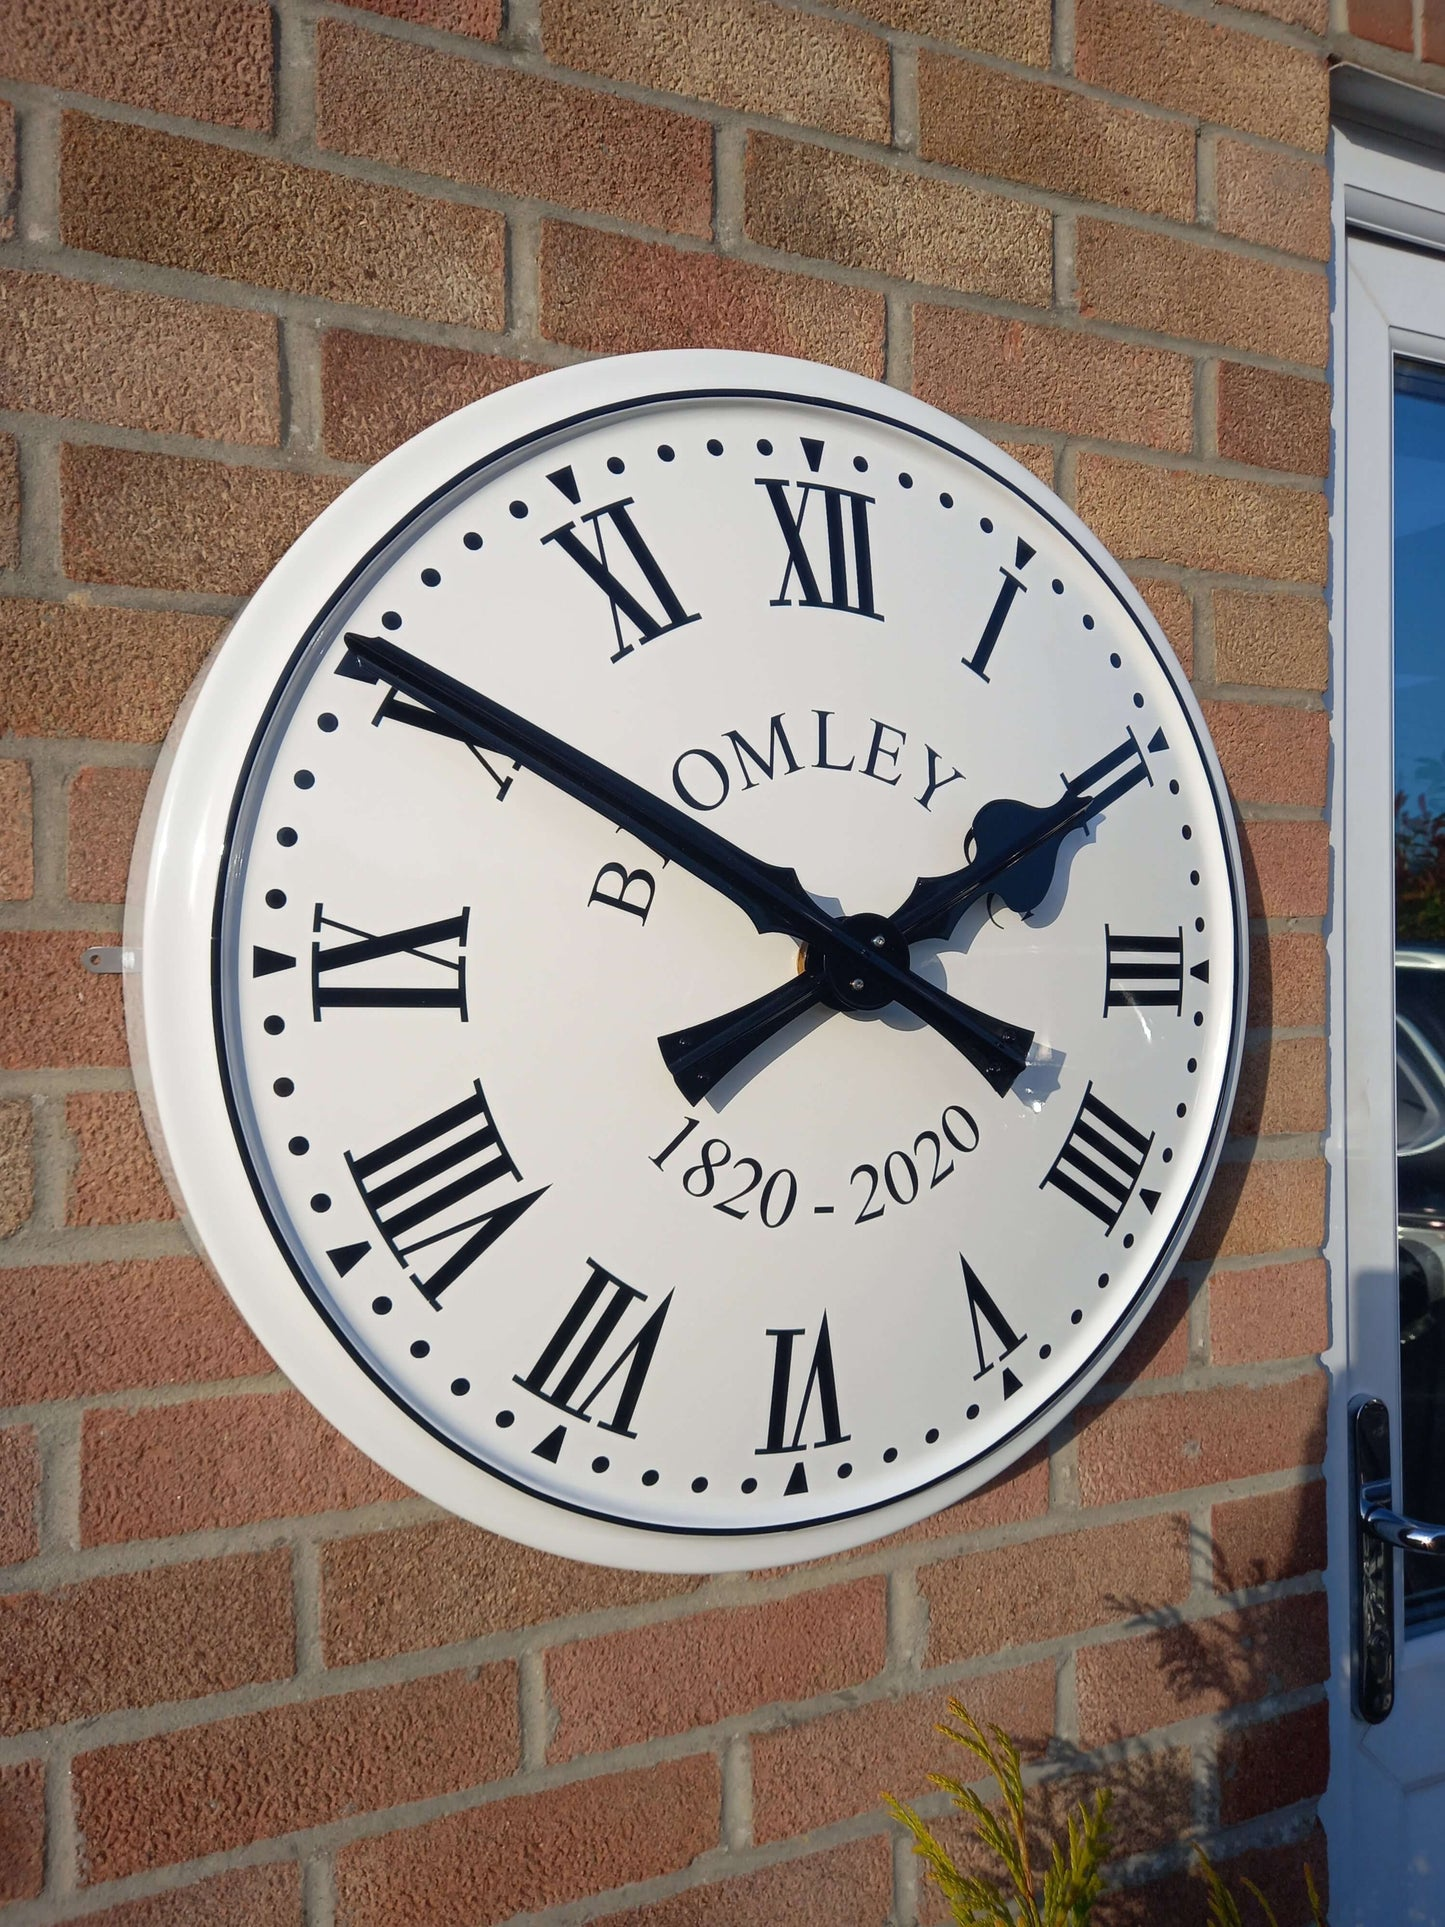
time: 1:50
